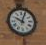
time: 10:03
